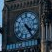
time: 4:23
